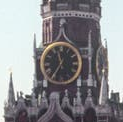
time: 11:35
